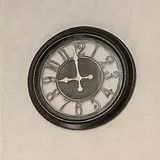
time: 8:58
